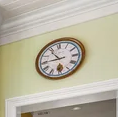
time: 10:45
